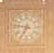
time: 6:46
